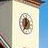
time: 11:35
